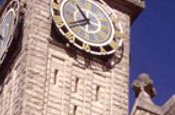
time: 10:40
